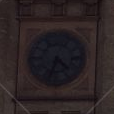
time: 4:33
